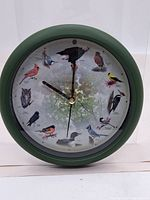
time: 10:00
